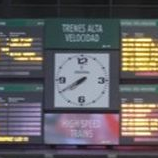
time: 7:39
